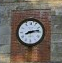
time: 8:13
